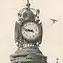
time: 8:47
